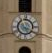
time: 5:18
